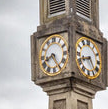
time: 8:24
